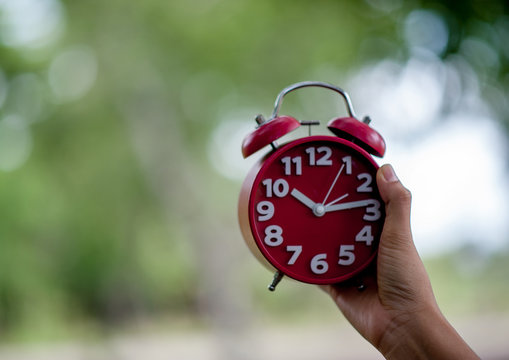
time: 10:13
